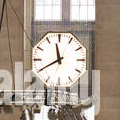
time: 11:40
